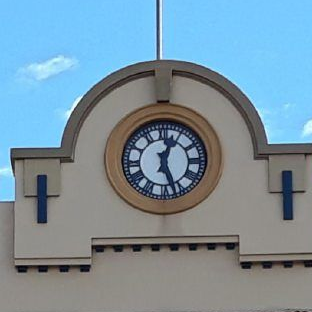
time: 12:26
